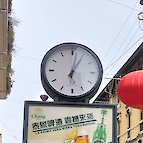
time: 1:01
